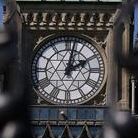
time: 2:02
